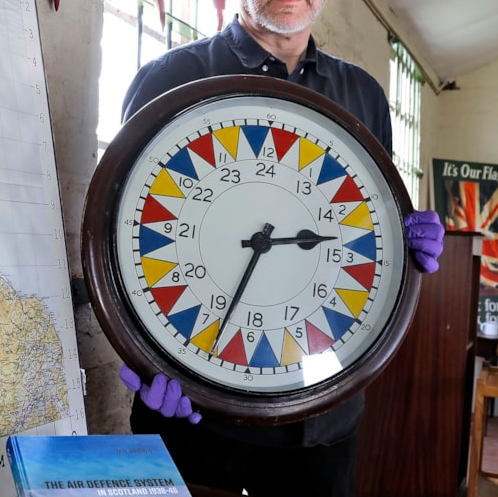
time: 2:33
